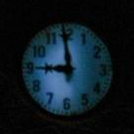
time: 8:59
